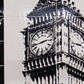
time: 2:43
